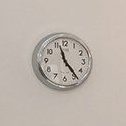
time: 11:23
